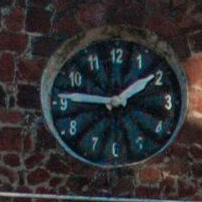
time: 1:46
